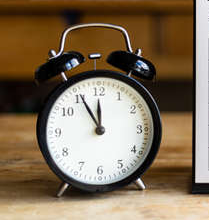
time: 11:55
